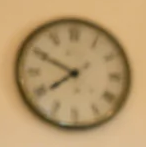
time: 7:49
